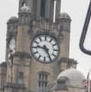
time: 9:25
